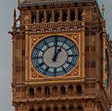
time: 1:01
